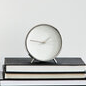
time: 1:46
